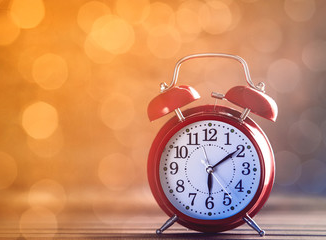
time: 6:09
